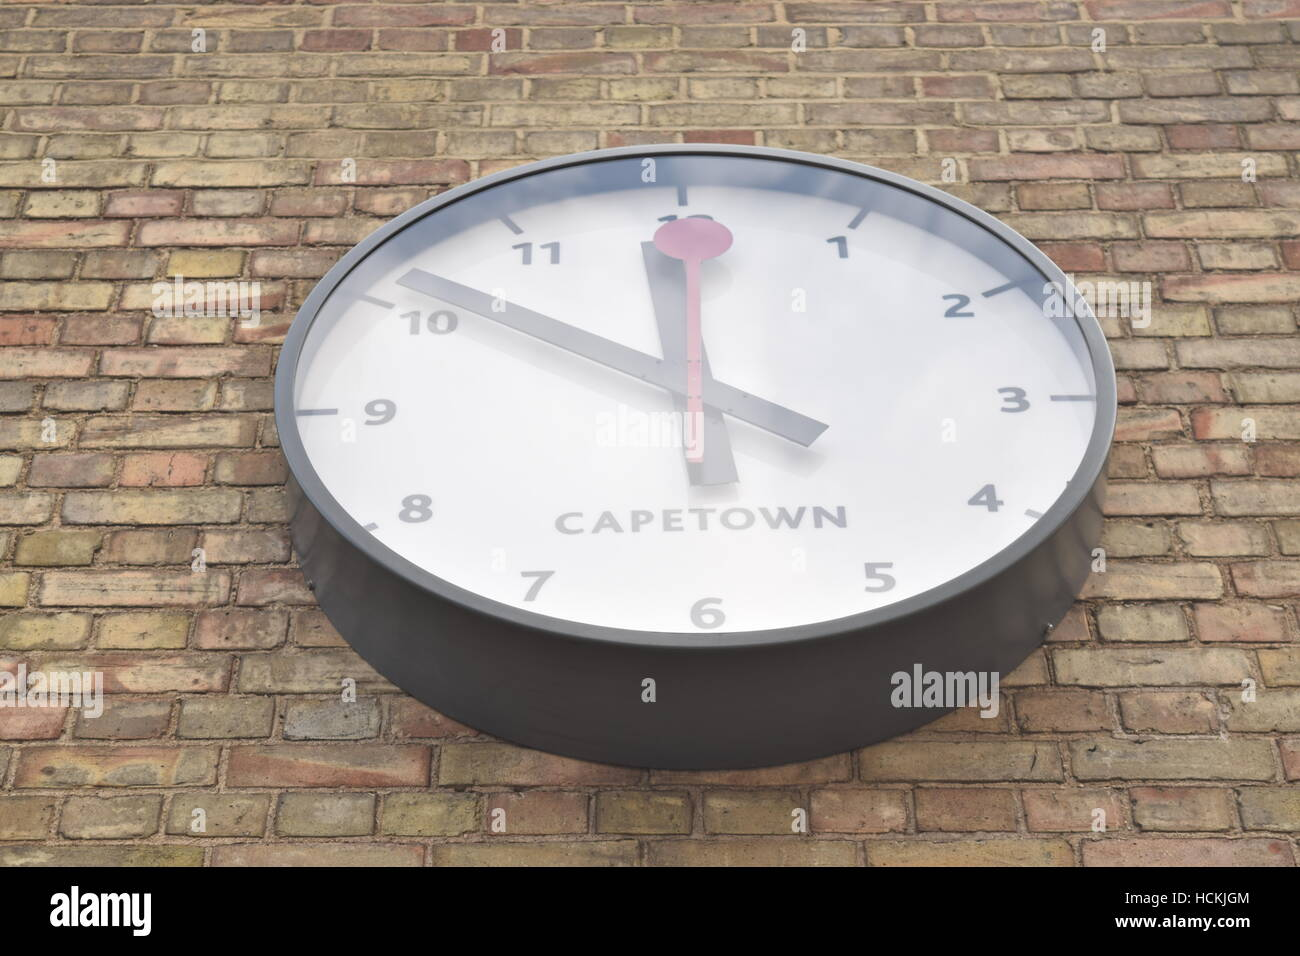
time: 11:51
